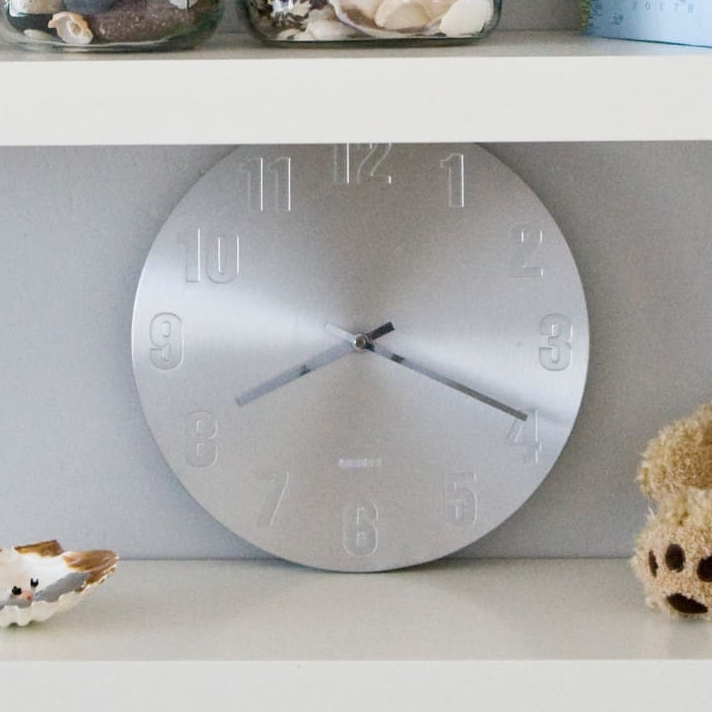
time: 8:19
